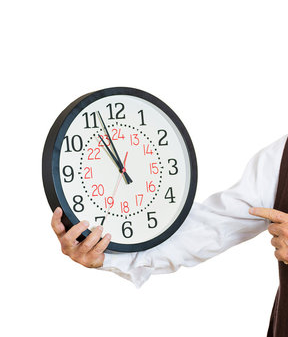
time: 10:56
